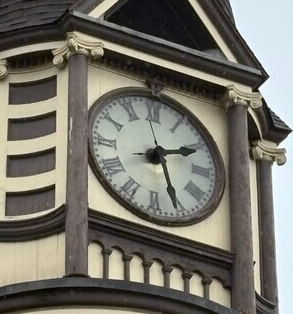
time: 2:26
